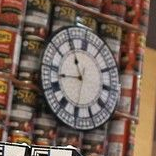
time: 10:42
